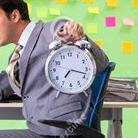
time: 7:17
